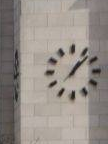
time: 1:07
